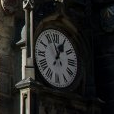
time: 12:57
